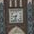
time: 8:32
